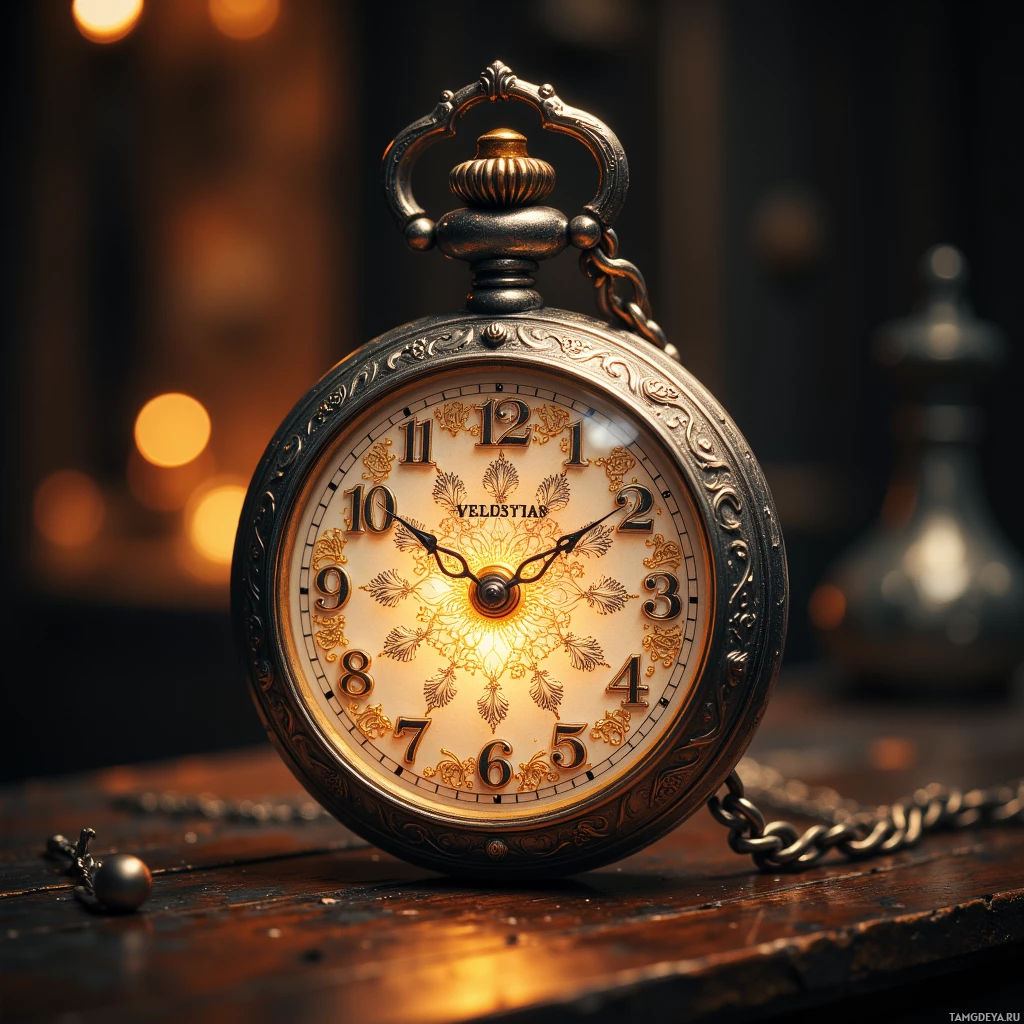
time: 1:51
